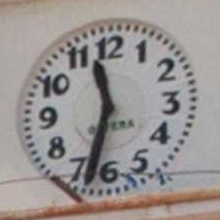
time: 11:32
